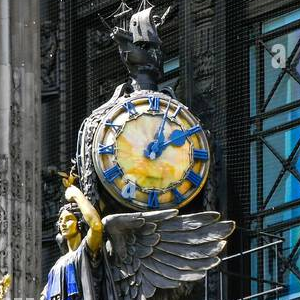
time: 2:03
